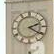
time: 2:20
